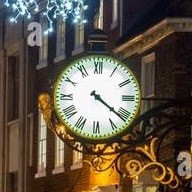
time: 4:21
